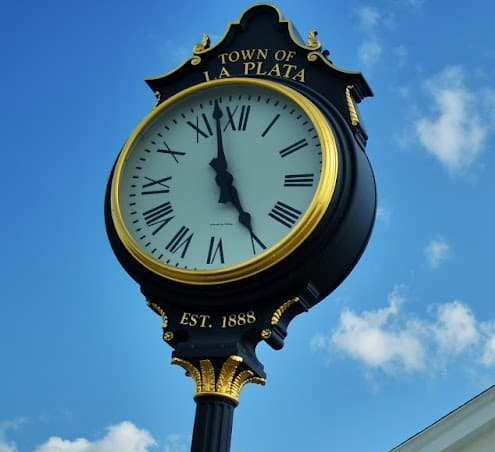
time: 4:57
